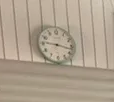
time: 9:17
